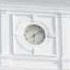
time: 6:08
